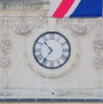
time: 10:36
